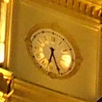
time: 6:26
